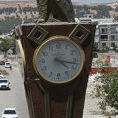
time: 4:17
